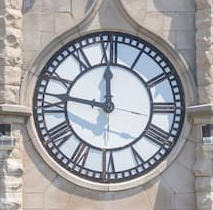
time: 11:46
